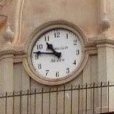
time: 10:46
